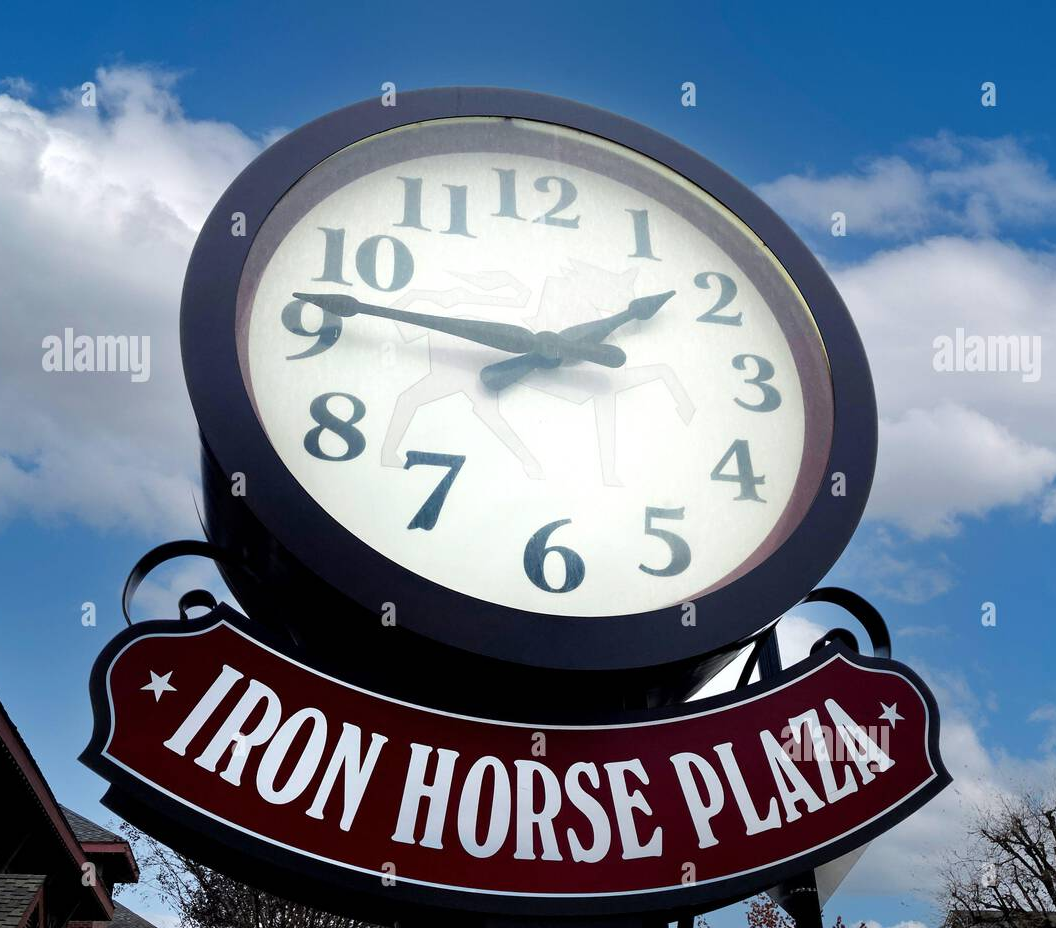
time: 1:46
